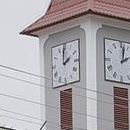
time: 1:59
